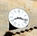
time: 8:16
